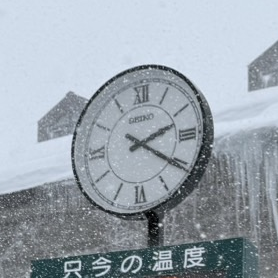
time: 2:20
